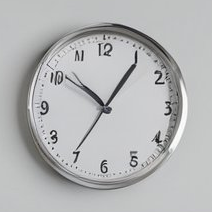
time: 10:05
